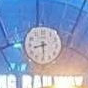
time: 8:29
